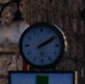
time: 2:09
